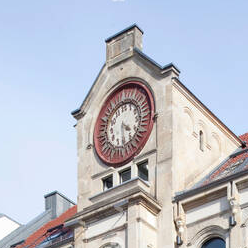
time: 4:28
